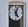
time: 5:03
